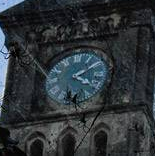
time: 4:09
